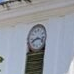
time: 8:17
